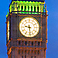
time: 9:28
